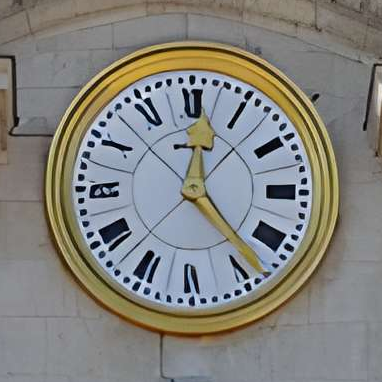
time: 12:22
